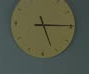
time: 5:14
